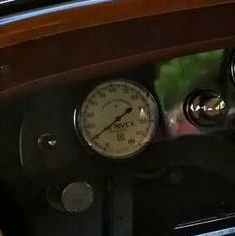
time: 1:39
